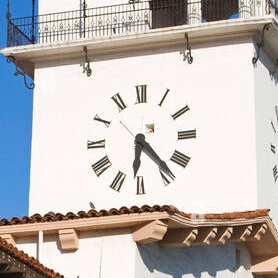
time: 6:23
